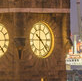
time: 10:22
